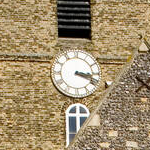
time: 3:18
